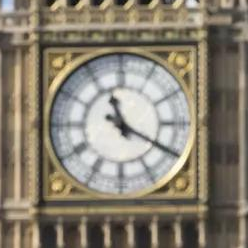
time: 11:19
